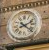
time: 2:21
